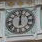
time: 12:00
